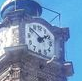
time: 1:51
